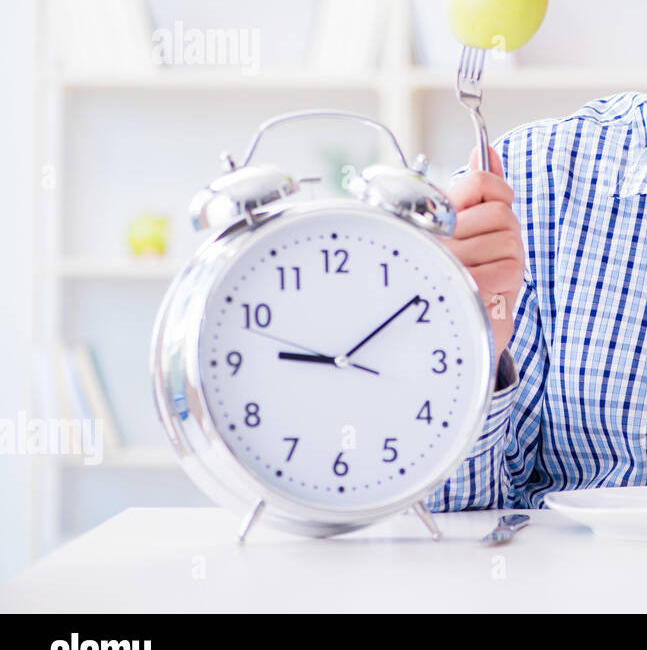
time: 9:09
